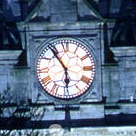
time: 5:54
